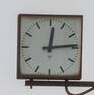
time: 12:14
